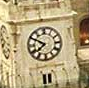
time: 7:49
